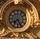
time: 7:25
